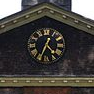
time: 4:34
